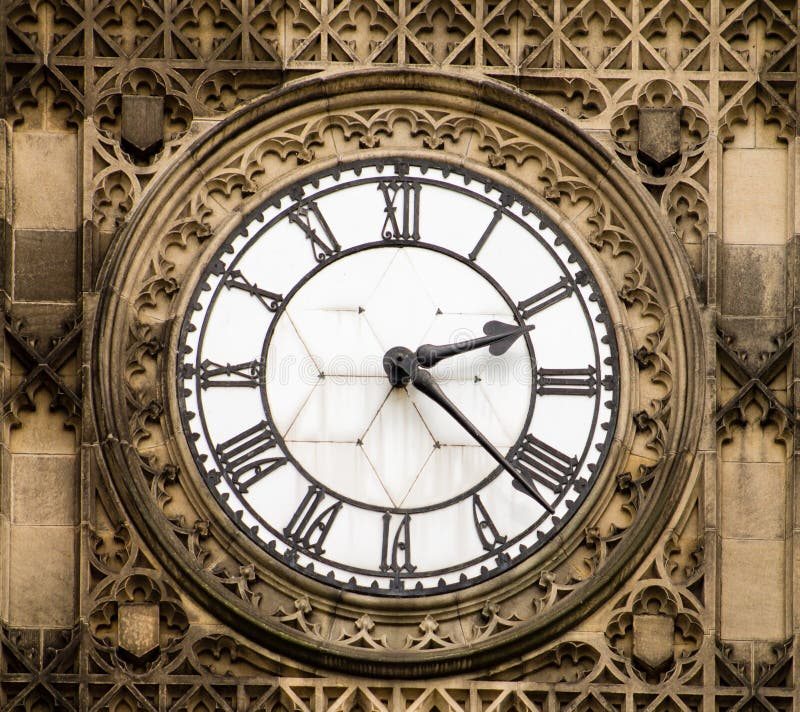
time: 2:21
